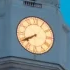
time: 7:40
